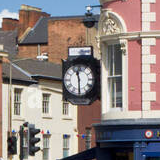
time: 11:29
